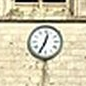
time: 12:34
